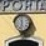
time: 11:32
